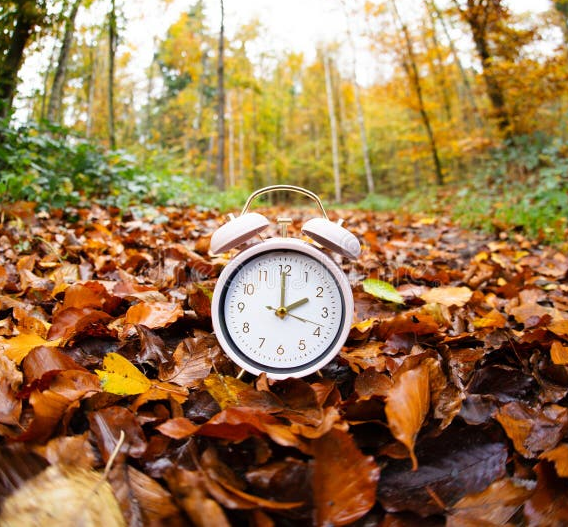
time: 2:00
